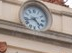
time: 4:42
